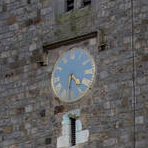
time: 4:31
